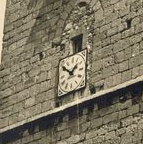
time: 1:51
